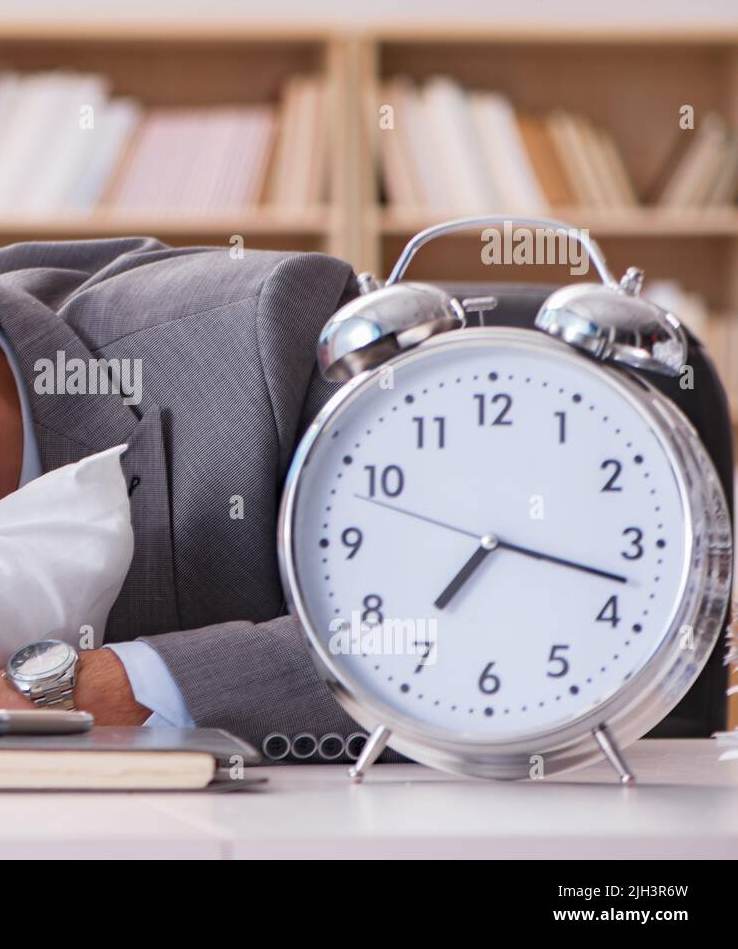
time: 7:17
